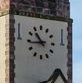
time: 10:43
